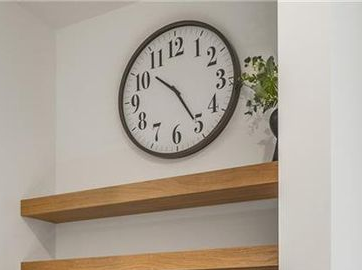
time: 10:24
